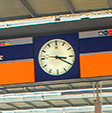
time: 3:20
